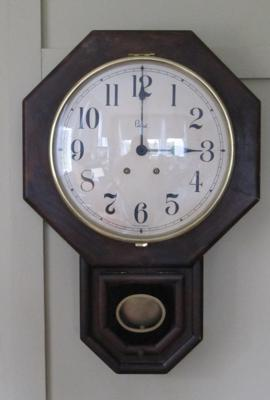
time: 3:00
